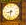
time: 8:32
